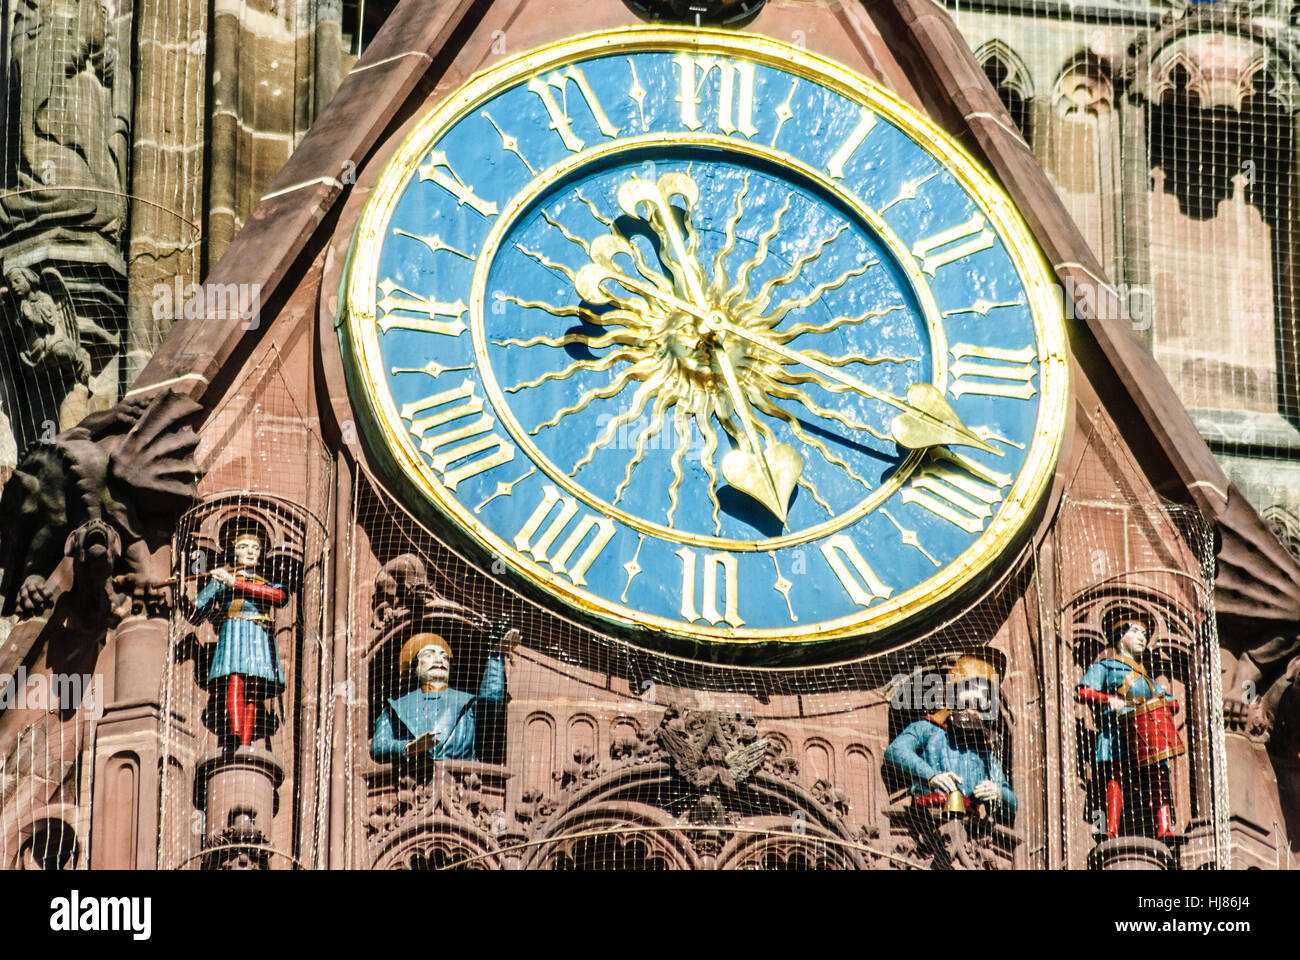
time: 5:18
